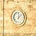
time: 12:07
